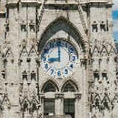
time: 8:59
